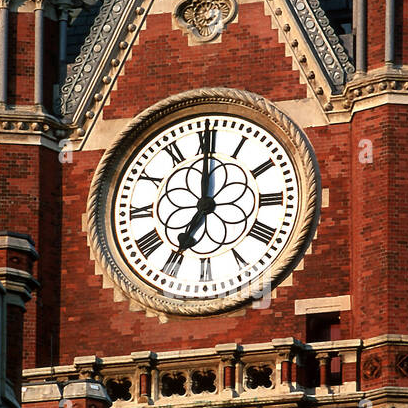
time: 7:00
